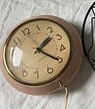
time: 1:20
